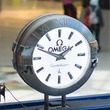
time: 1:48
